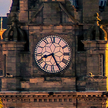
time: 8:25
